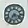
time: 7:17
